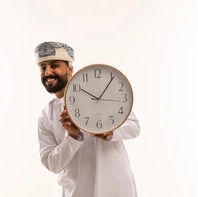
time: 10:05
